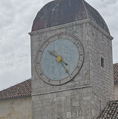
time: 10:24
